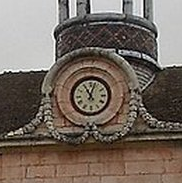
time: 11:03
